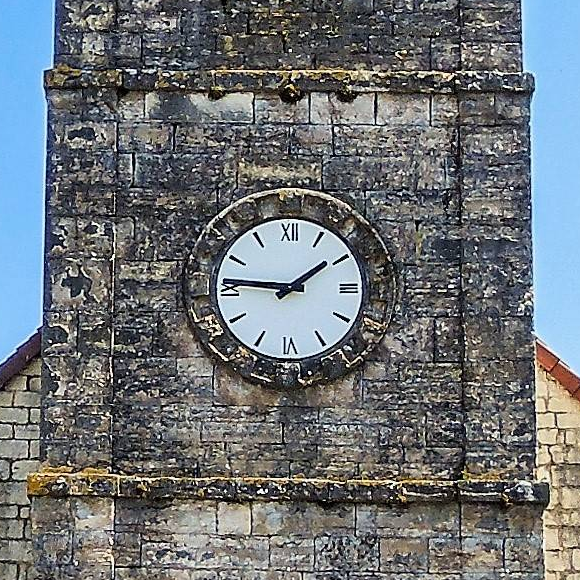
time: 1:46
